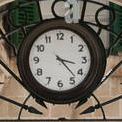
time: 3:22
